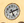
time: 5:11
